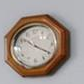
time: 10:20
